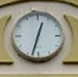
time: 12:32
